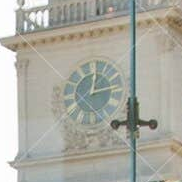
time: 12:13
